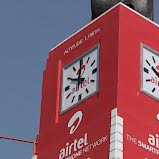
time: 10:00
